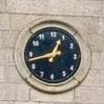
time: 12:42
